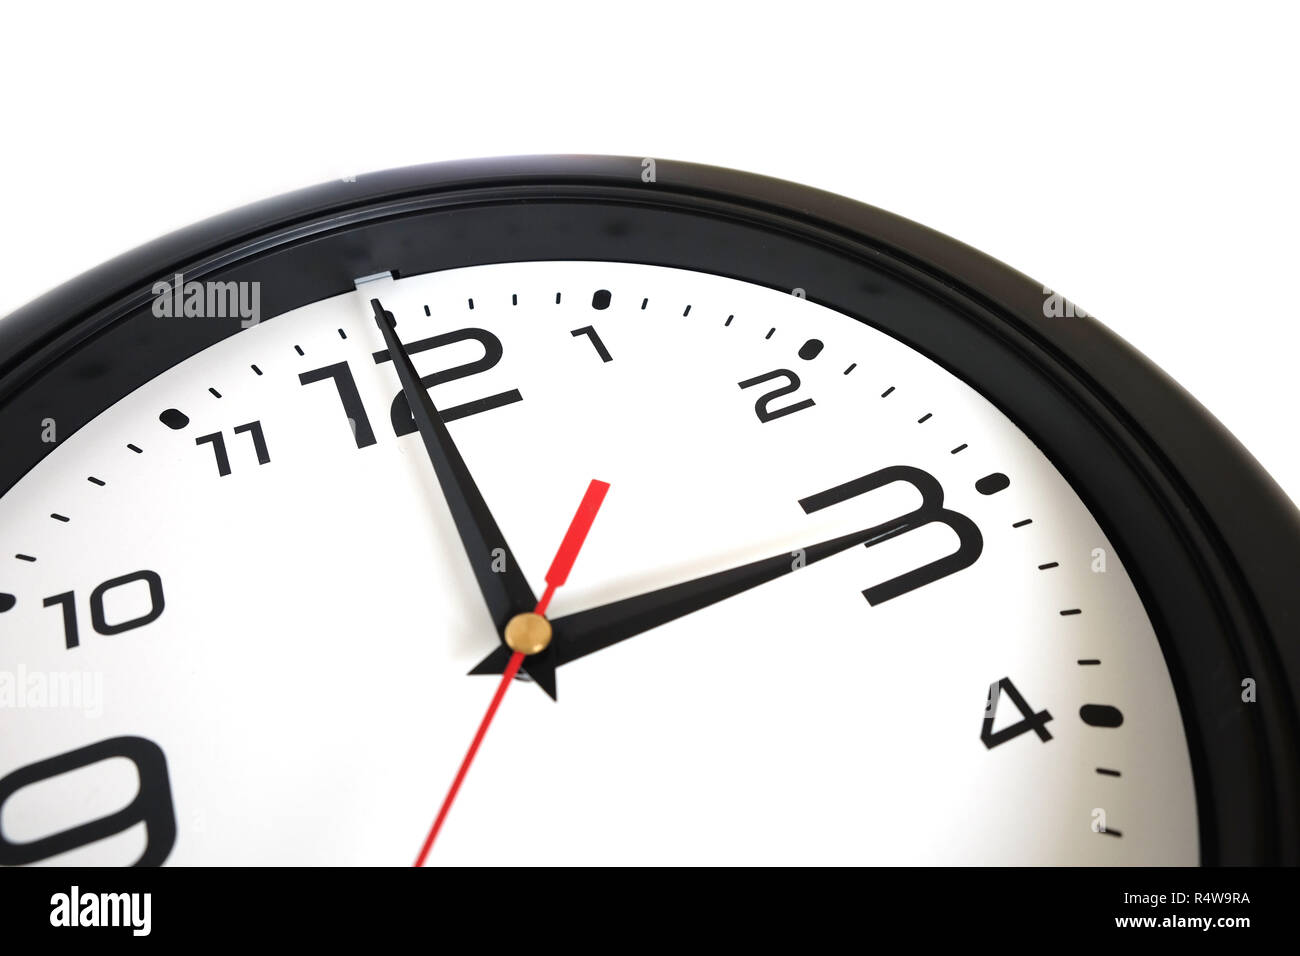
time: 2:59
